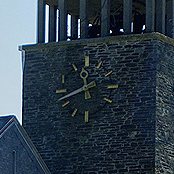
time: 11:41
